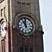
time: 11:00
